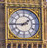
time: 1:44
